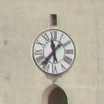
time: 11:36
